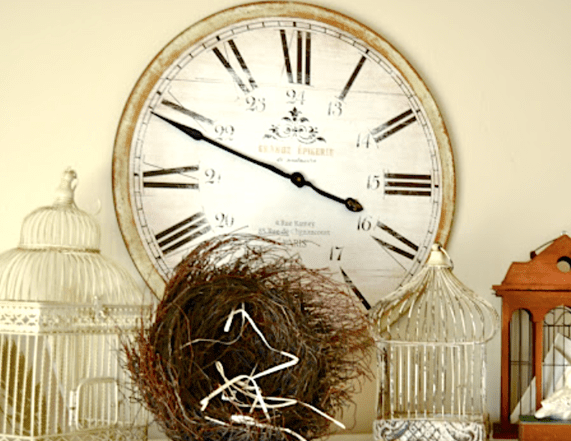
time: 3:48
